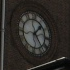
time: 1:24
